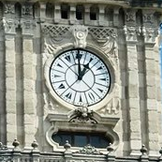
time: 12:59
